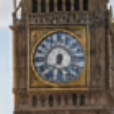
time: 6:35
